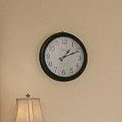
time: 1:11
